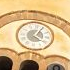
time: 4:04
